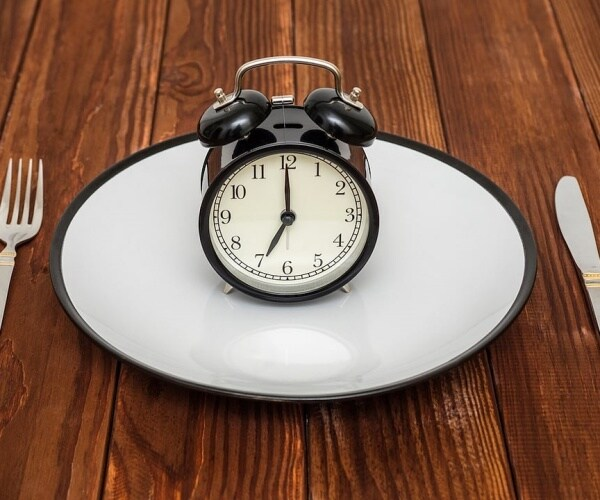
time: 7:00
